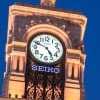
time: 4:48
